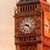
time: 9:22
